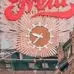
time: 9:36
